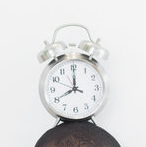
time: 8:00
